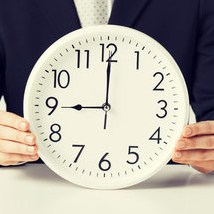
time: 9:00
